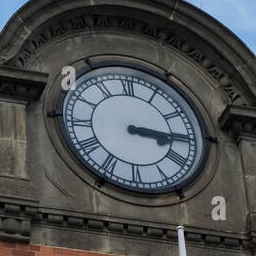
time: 3:15
